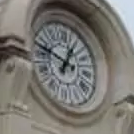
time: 12:47
